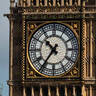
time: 10:36
